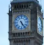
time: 5:23
